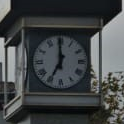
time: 6:59
